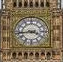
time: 3:43
